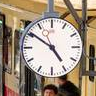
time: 4:50
